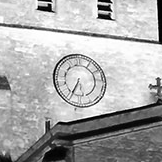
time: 6:34
